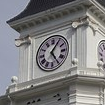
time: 5:05
